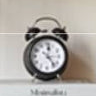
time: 12:23
